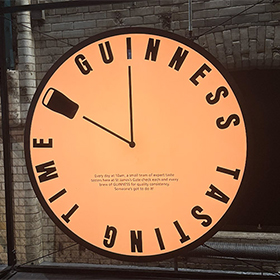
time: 9:57
